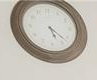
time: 5:22
